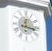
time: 12:16
